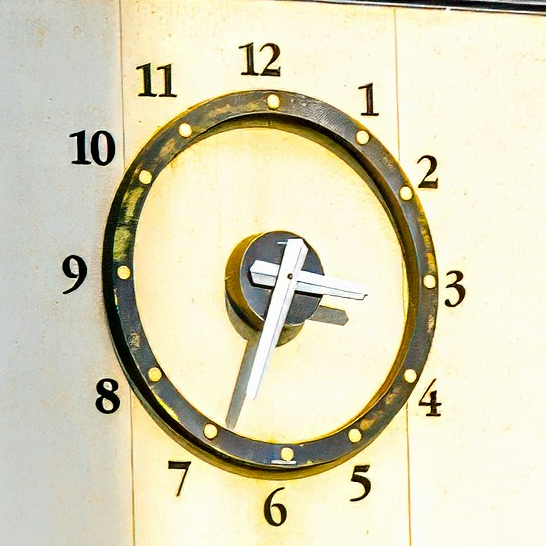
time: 3:33
